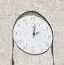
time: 2:01
